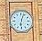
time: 6:03
